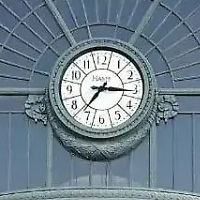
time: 7:15
